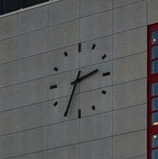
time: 2:34
